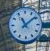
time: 11:08
